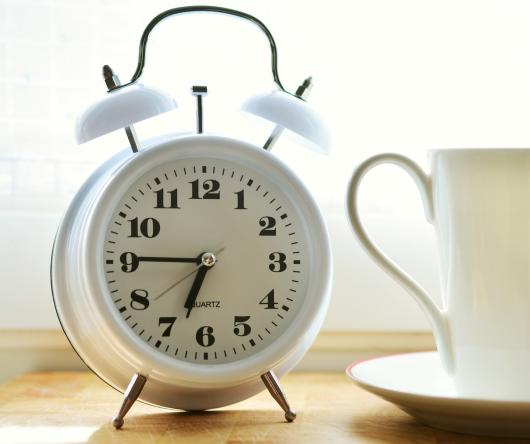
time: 6:45
